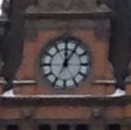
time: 12:05
